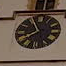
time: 7:55
